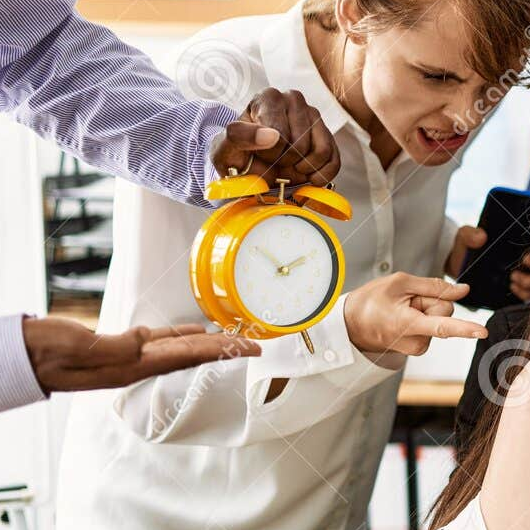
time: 1:51
